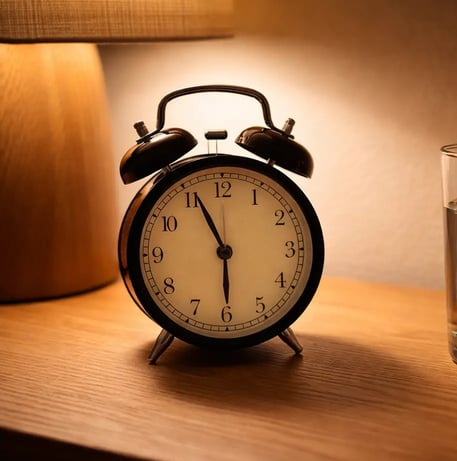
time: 5:55
